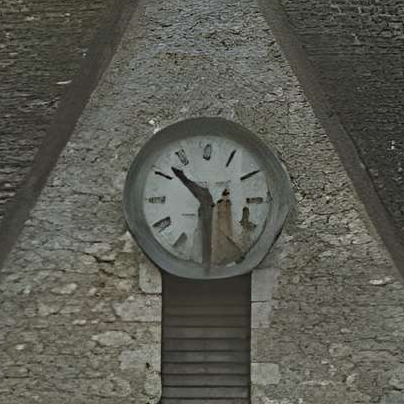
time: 10:29
